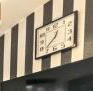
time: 12:38
